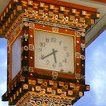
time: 5:39
